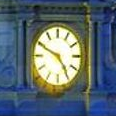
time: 4:49
